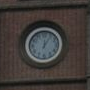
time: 12:05
